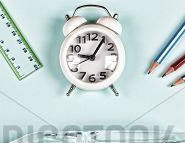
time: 9:05
